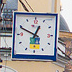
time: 12:49
